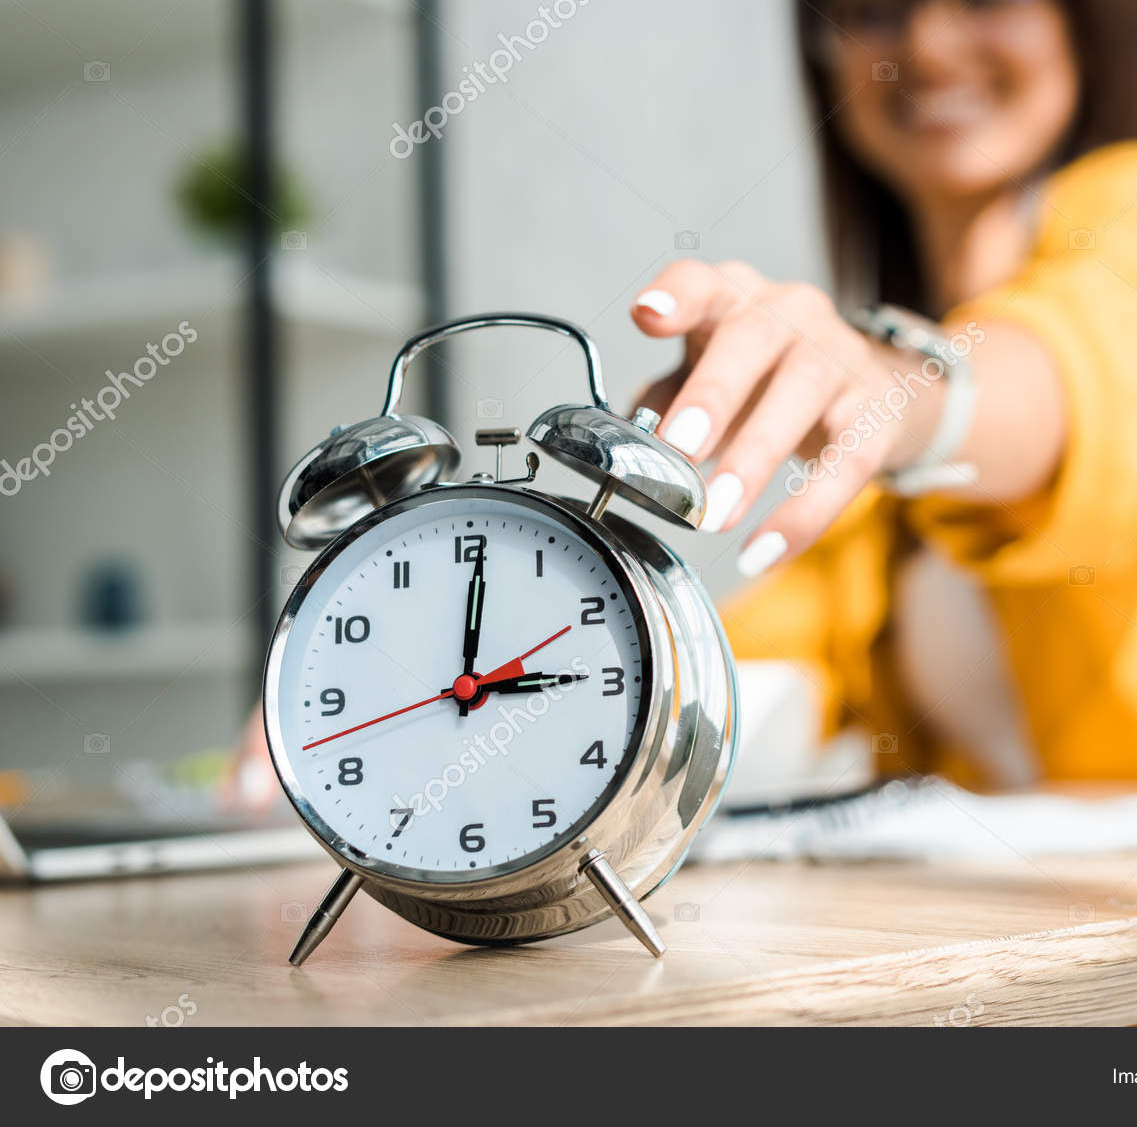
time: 3:00
